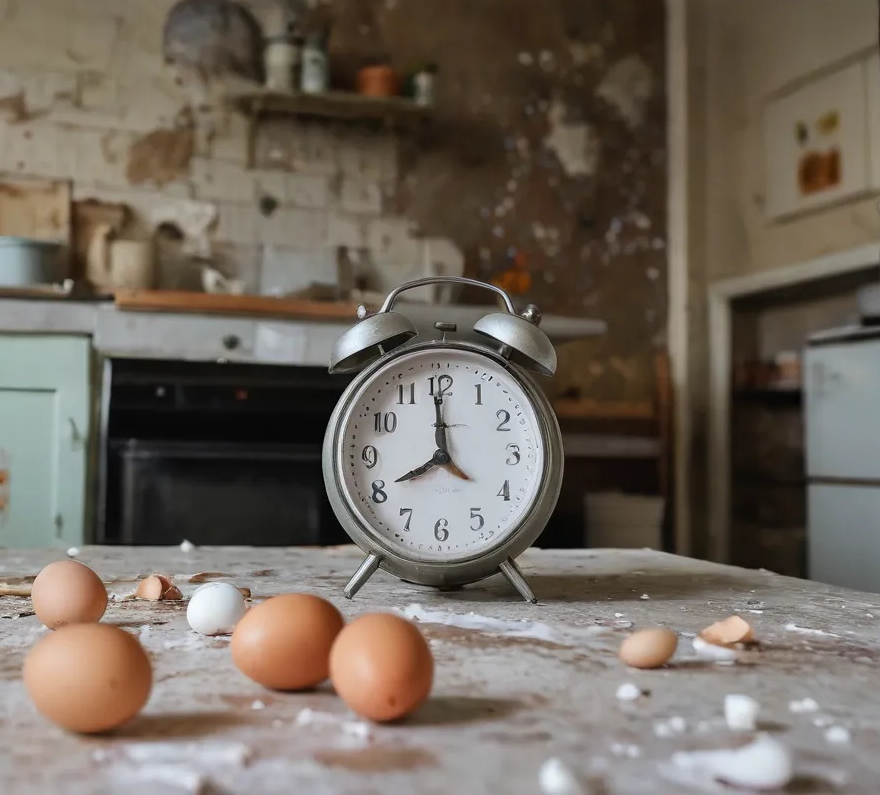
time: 7:59
